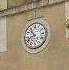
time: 10:41
